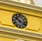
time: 10:17
